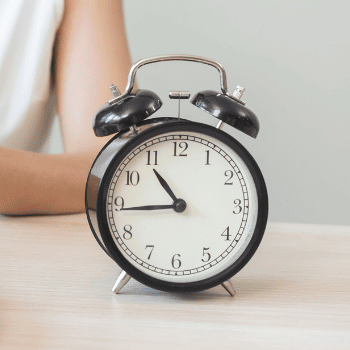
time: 10:44
